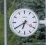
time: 6:39
